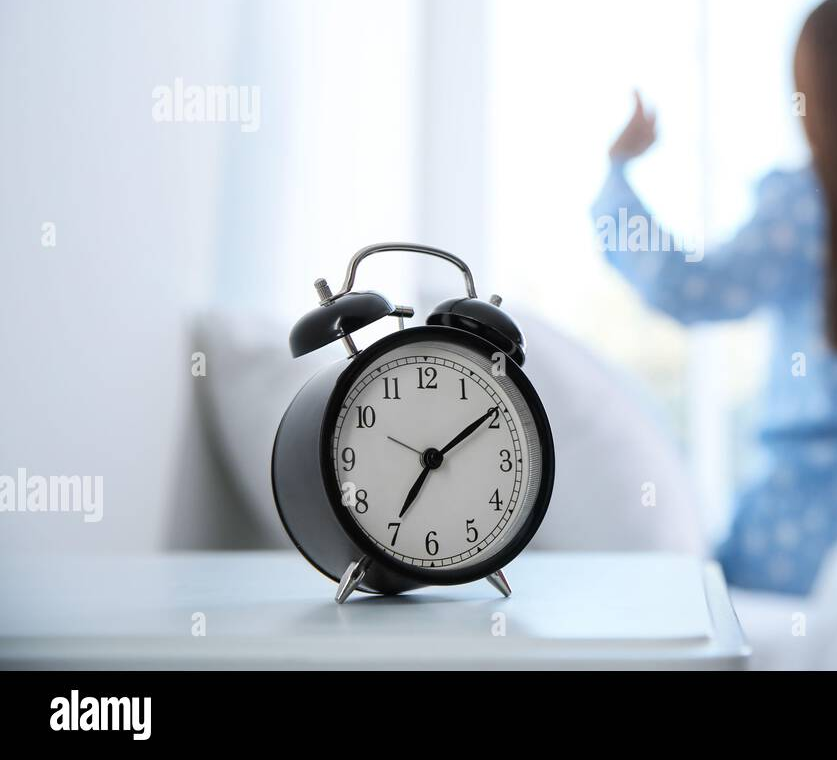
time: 7:09
